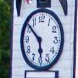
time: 5:51
